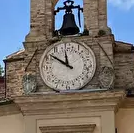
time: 11:51
